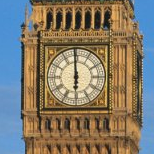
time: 5:59
